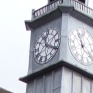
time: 11:19
